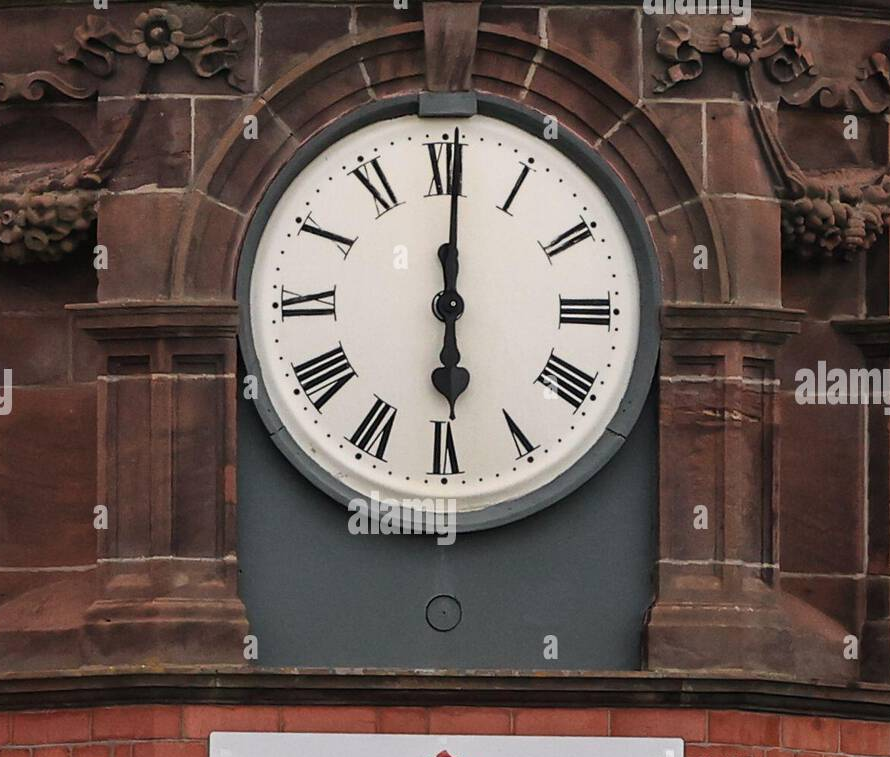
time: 6:00
